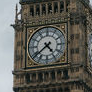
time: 4:38
